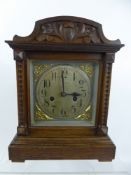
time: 2:59
